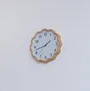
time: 1:42
